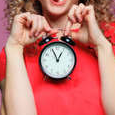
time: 12:56
